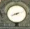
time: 8:12
